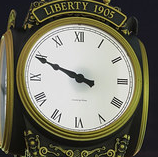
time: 9:49
